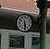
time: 5:29
